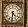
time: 4:31
